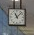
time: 11:07
